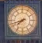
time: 7:42
